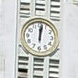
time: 12:01
